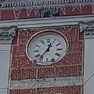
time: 12:36
